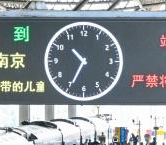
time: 10:34
